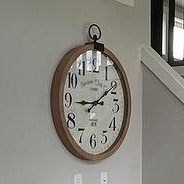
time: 9:09
